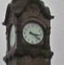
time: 3:21
